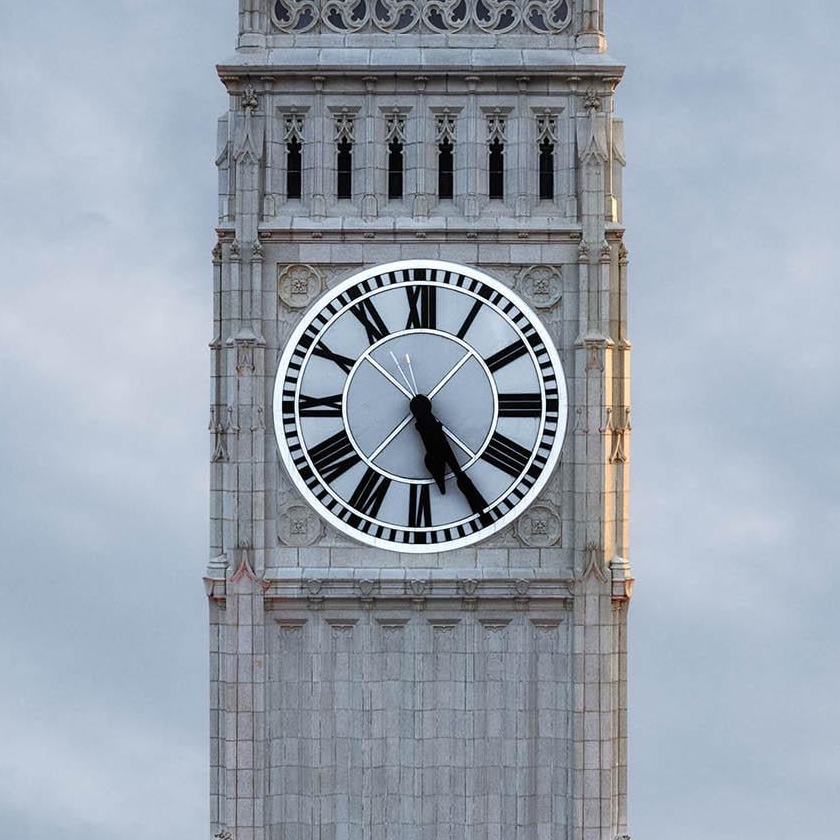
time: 5:24
